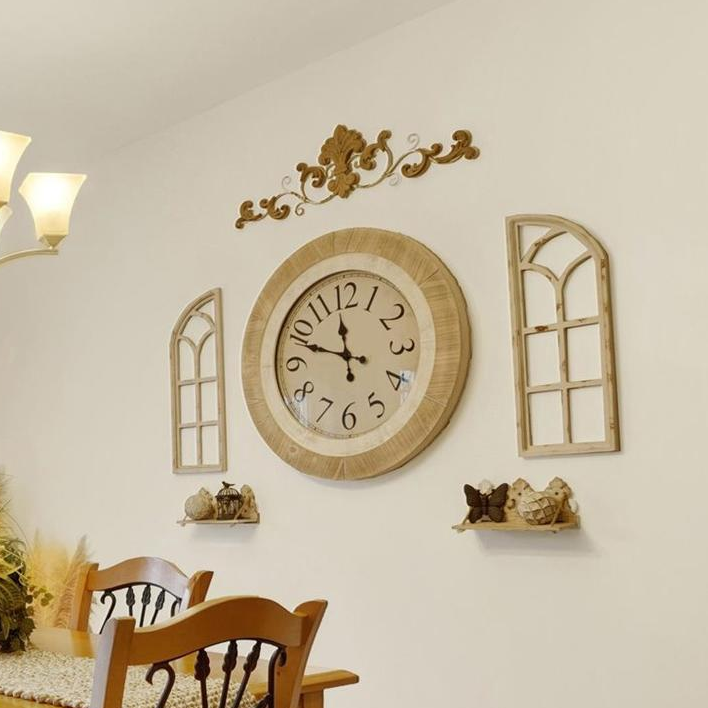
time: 11:48
